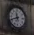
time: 11:41
